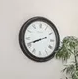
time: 8:11
